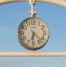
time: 6:22
